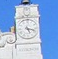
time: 5:17
